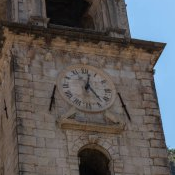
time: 12:23
